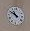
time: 10:50
